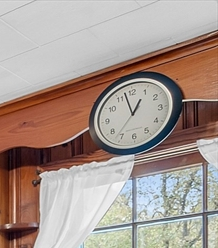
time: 12:57
